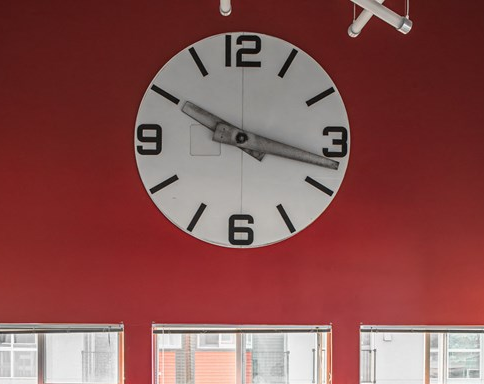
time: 10:17
